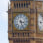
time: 3:26
